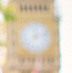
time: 7:12
